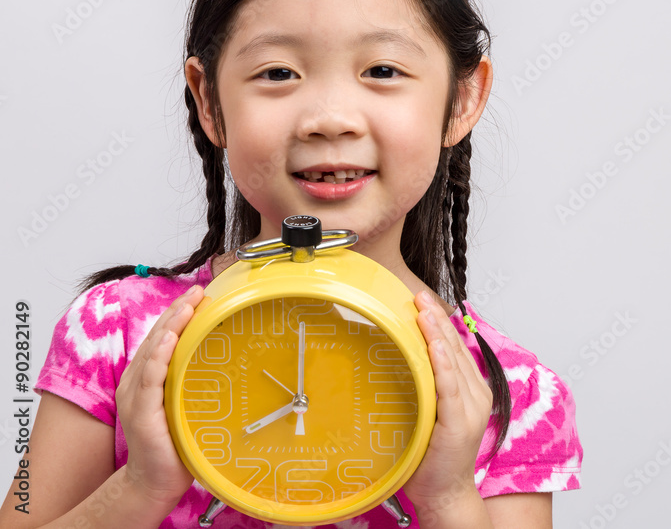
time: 8:01
